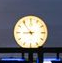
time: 8:54
